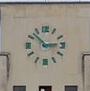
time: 2:52
